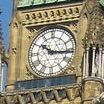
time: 10:15
